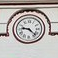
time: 9:22
